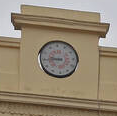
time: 9:45
